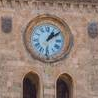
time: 1:08
